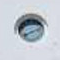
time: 8:11
